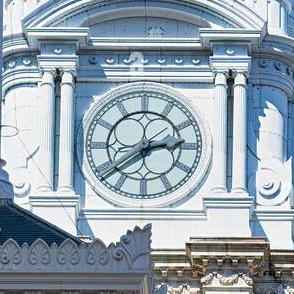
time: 2:38
